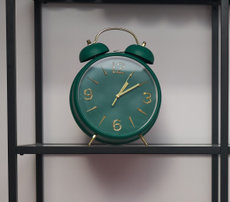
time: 1:10
